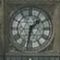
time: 1:32
